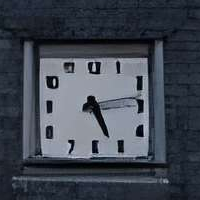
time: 5:13
